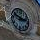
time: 2:48
